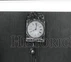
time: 8:01
